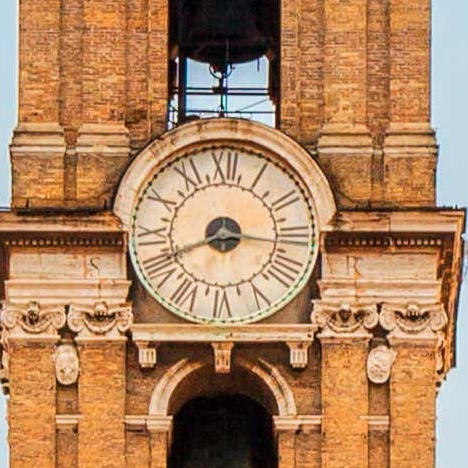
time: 8:16
